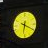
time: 6:19
